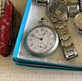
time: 12:48
